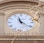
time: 11:21
